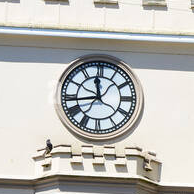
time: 11:43
